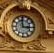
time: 2:58
